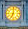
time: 7:00
